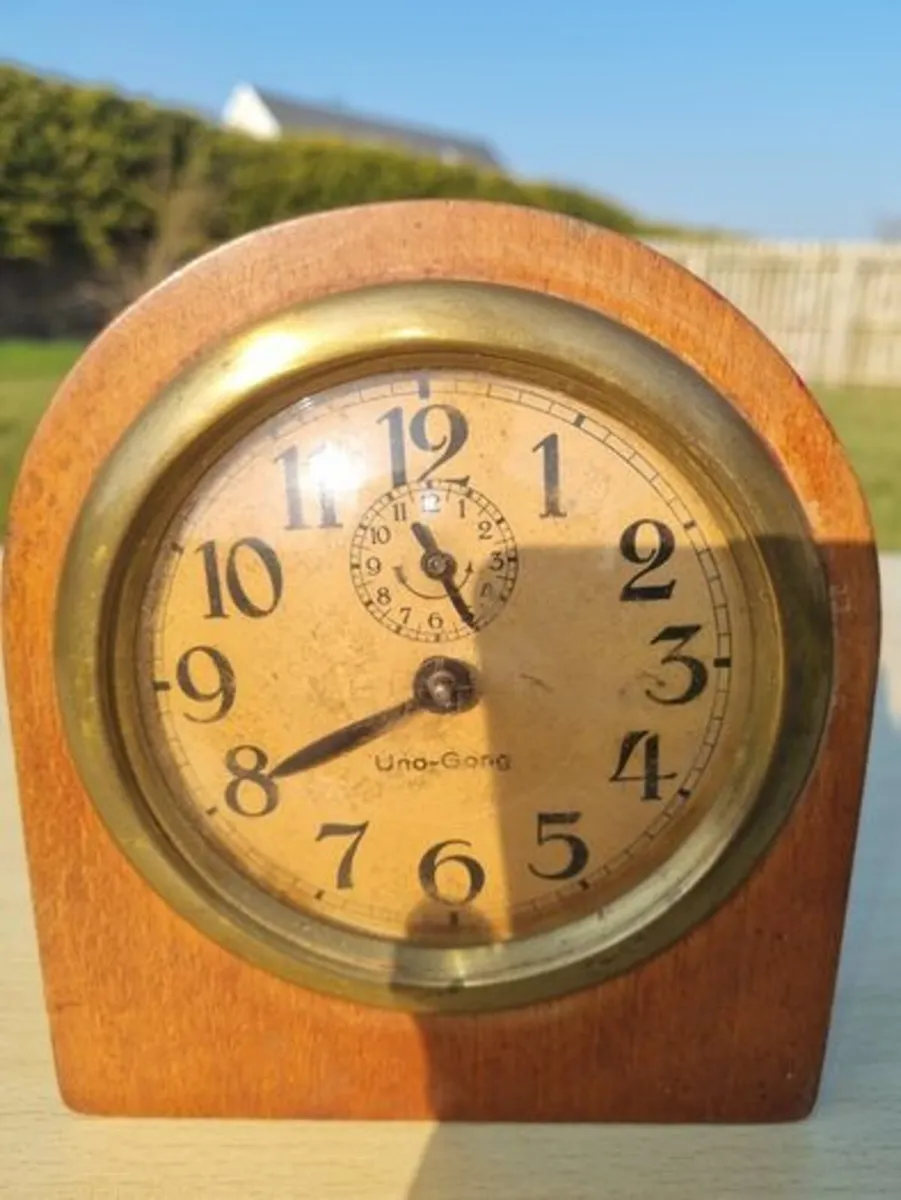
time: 11:40
